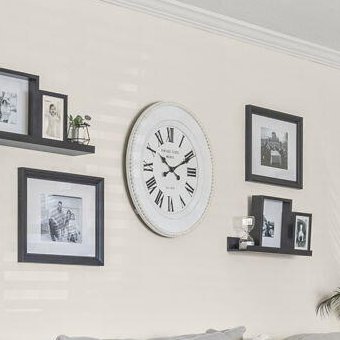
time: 10:10
